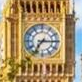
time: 7:15
